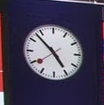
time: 4:52
